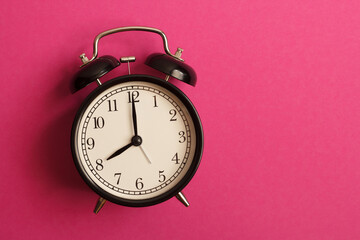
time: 8:00
